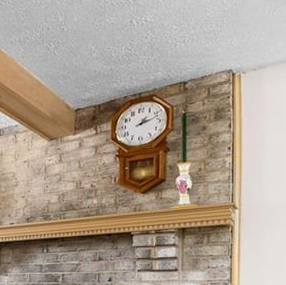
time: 1:11
